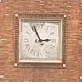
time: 2:56
